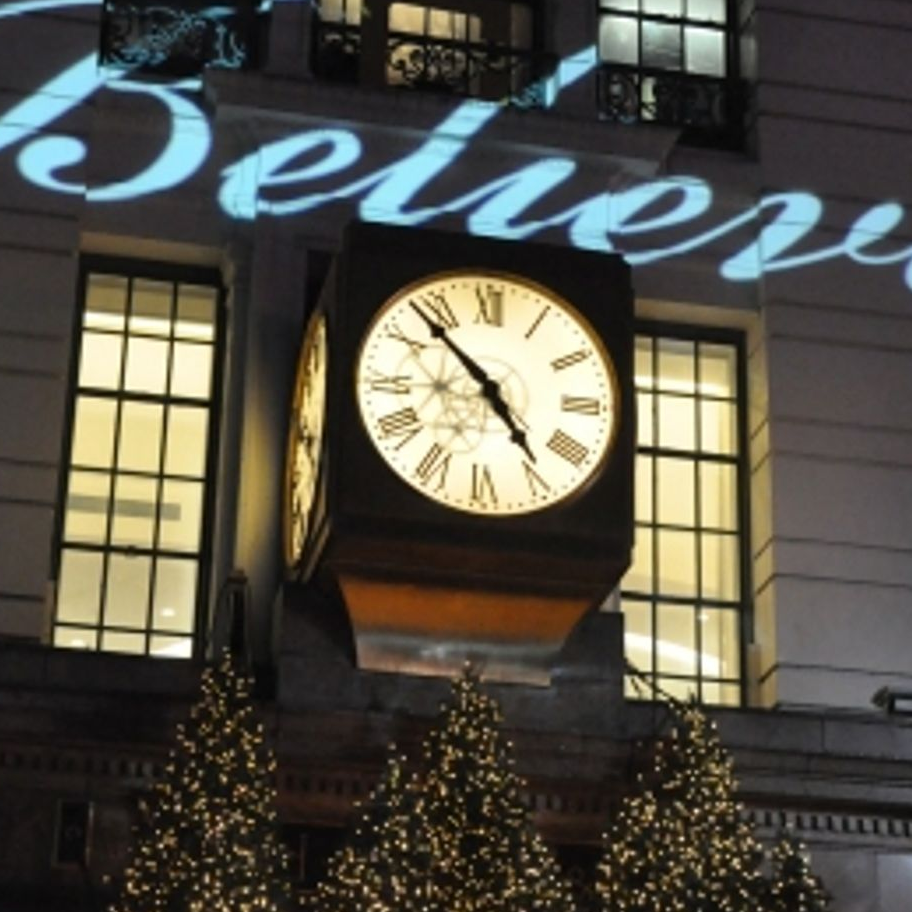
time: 4:52
